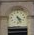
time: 4:26
